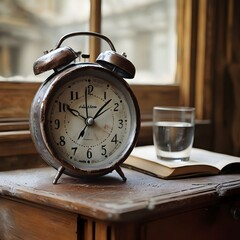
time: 10:07
